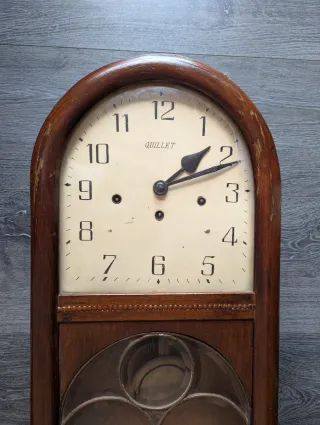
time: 1:11
